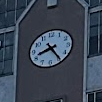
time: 8:24
